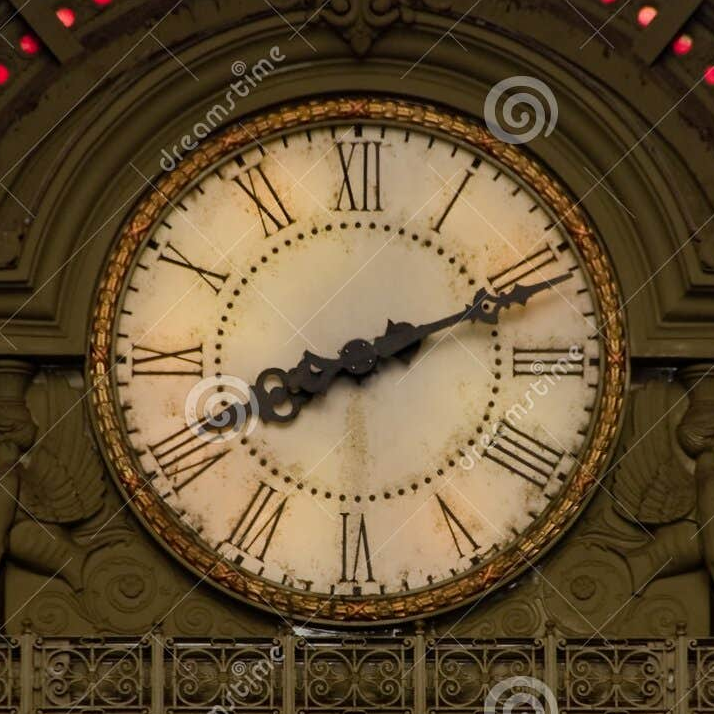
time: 8:11
